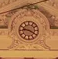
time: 9:19
